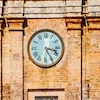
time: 3:24
